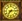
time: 7:14
